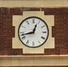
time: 12:42
